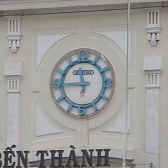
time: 11:45
